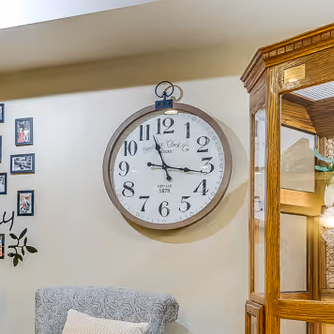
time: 11:16
